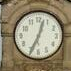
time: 12:34
